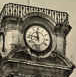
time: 11:46
